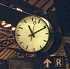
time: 11:10
